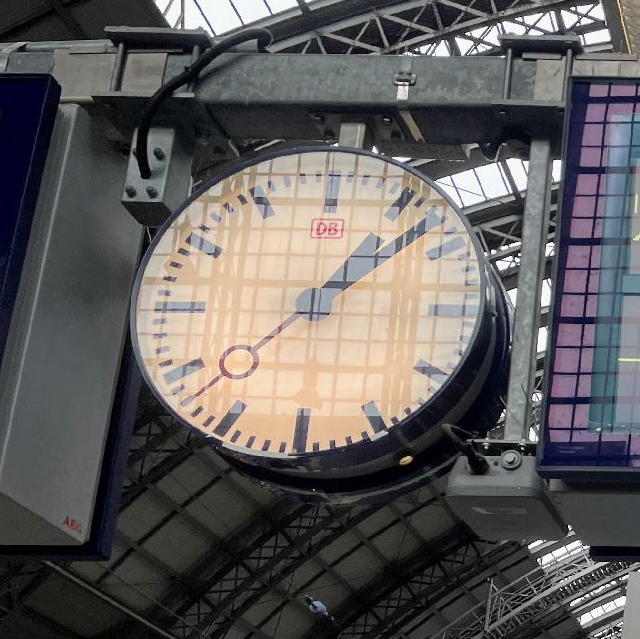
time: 1:08
